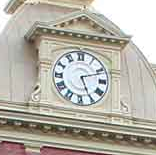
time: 5:11
